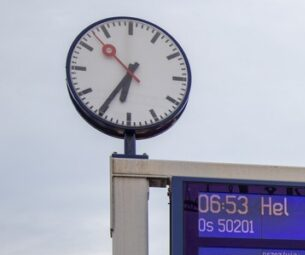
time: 6:35
